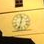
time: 12:33
